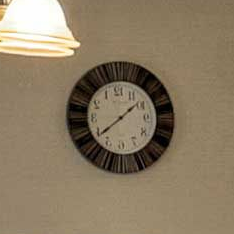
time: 1:38
